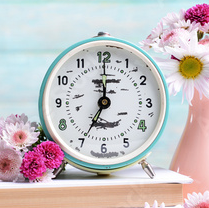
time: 11:34
